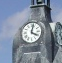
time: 4:02
